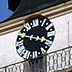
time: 3:47
